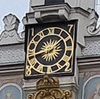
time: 8:07
